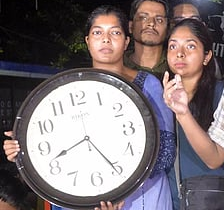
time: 8:25
